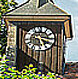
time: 5:18
